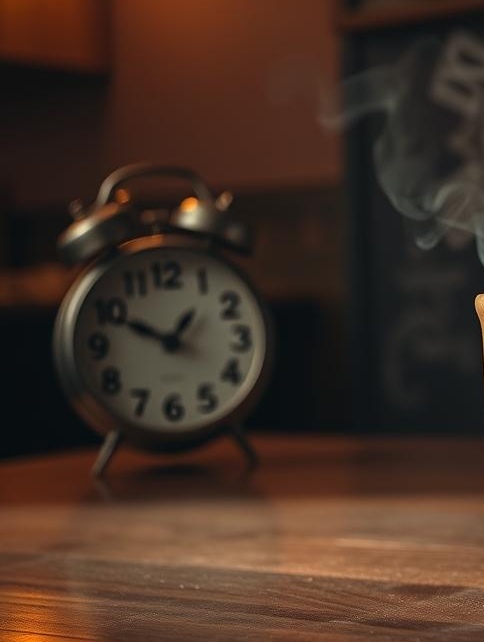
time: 12:49
